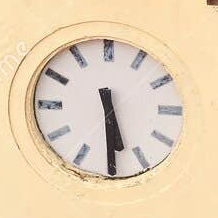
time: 5:29
